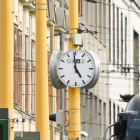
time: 4:59
